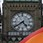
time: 4:38
